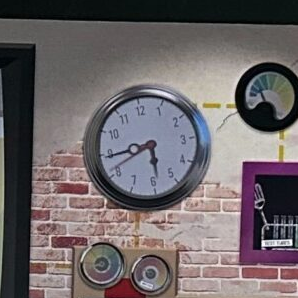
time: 5:44
